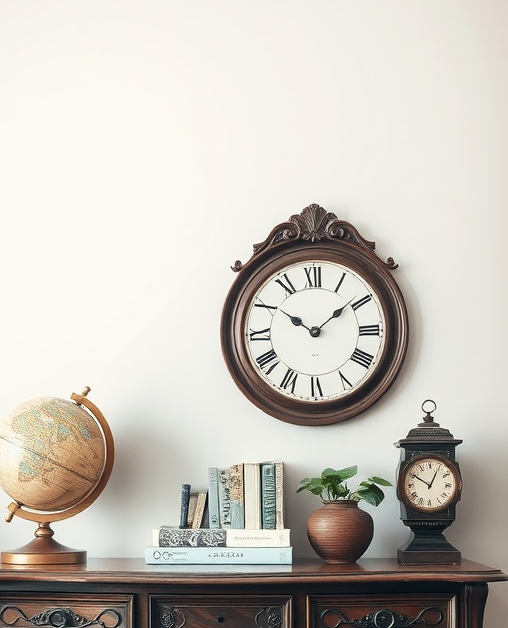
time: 10:09
